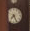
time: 7:25
